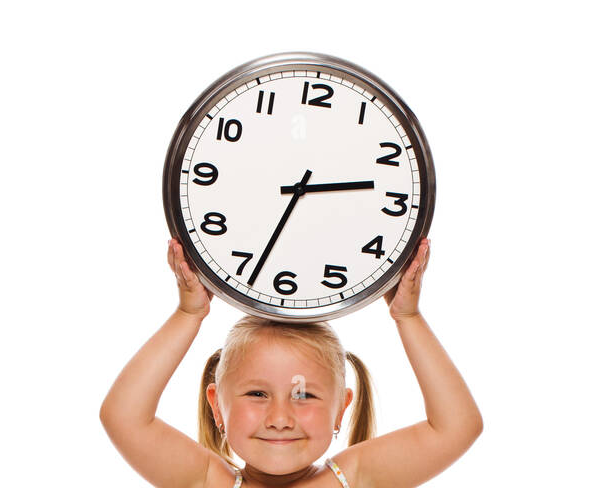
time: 2:33
